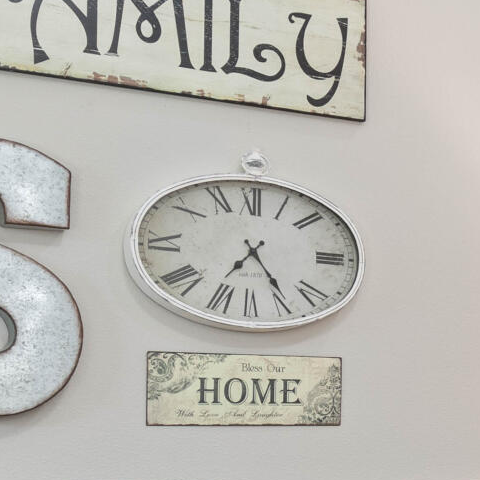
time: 7:24
